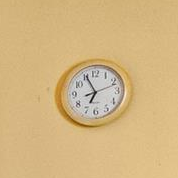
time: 6:55
